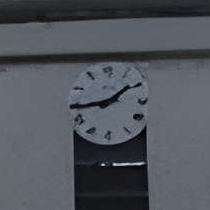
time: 1:43
